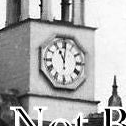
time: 11:00
